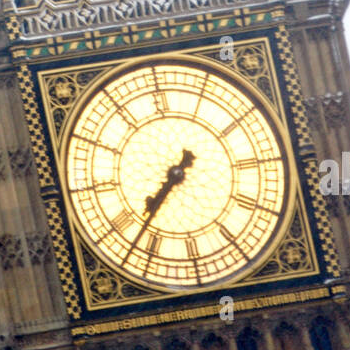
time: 7:37
